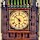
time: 5:51
